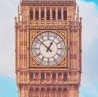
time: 12:52
